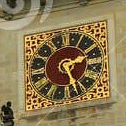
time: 2:26
